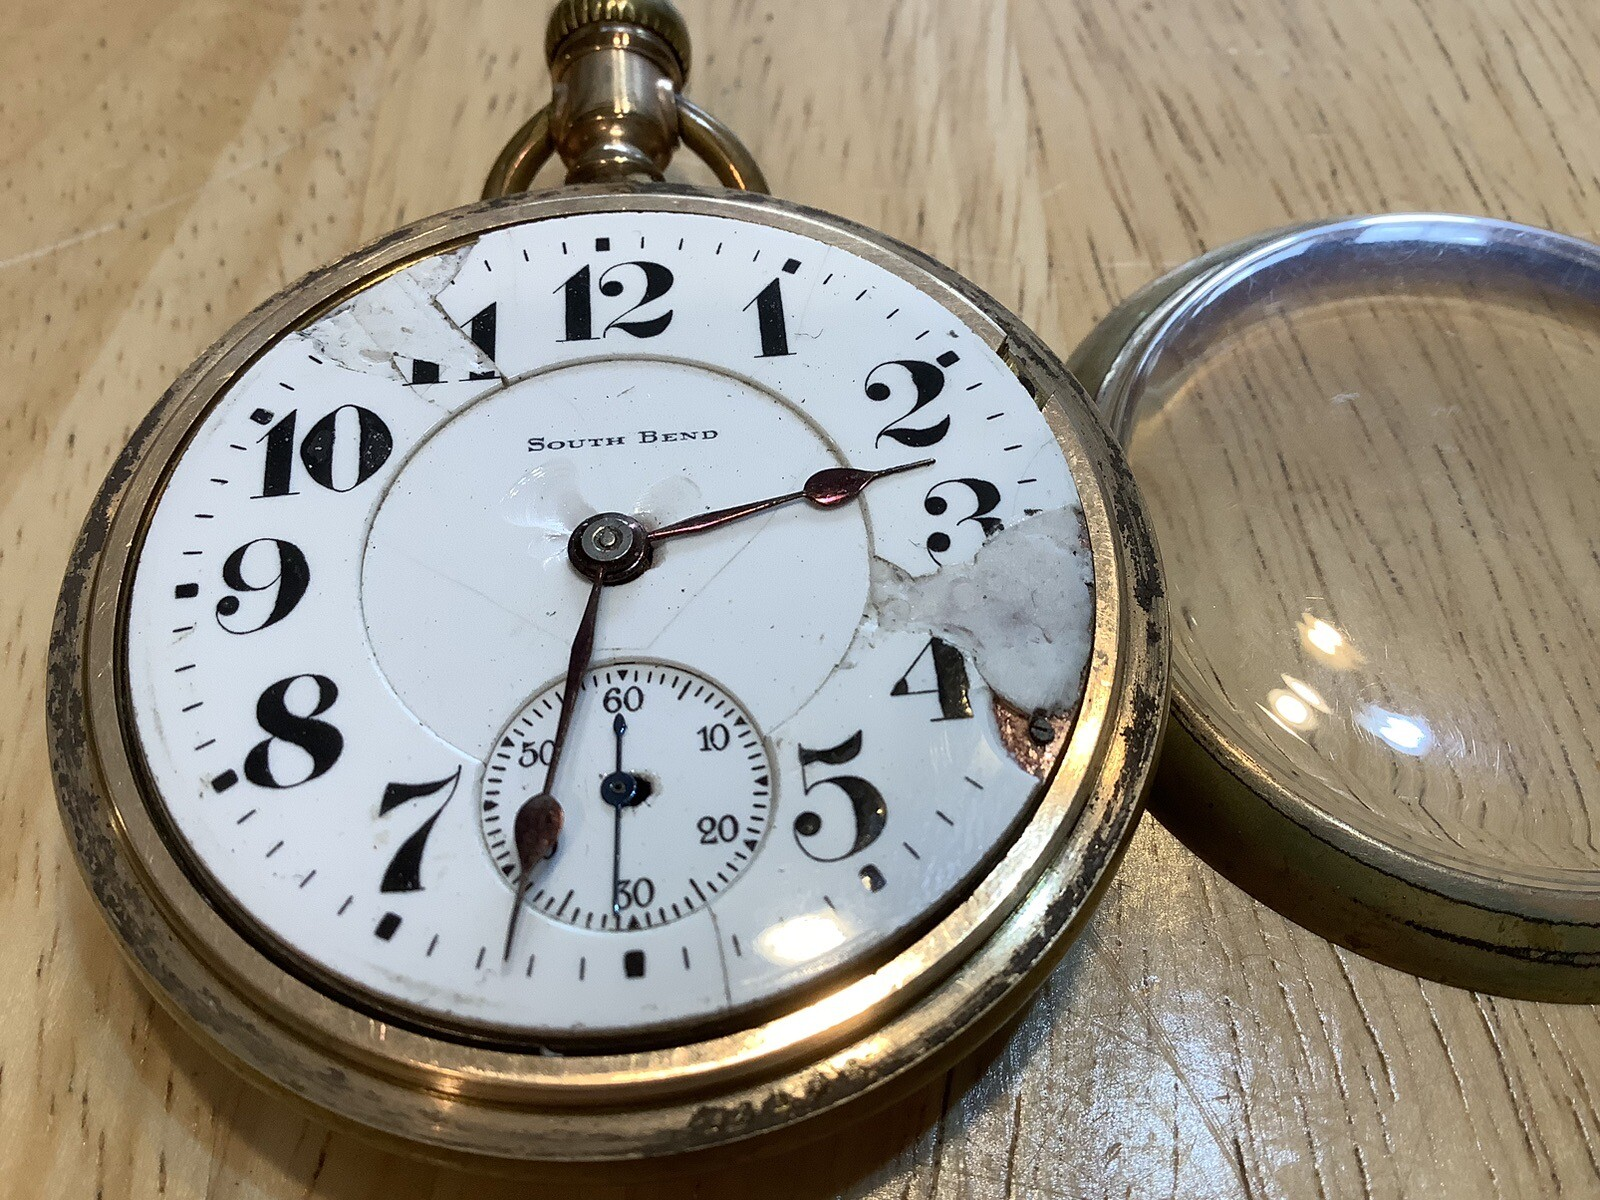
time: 2:31
